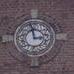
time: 2:58
